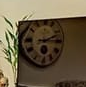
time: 2:14
